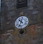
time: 10:34
